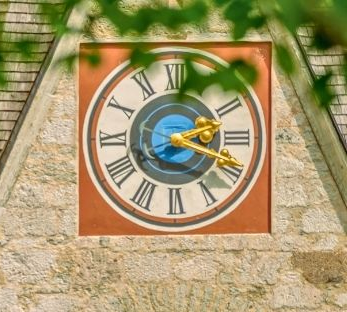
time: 2:18
